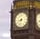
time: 8:32
